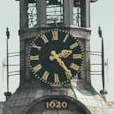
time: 2:23
